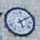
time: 5:09
